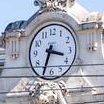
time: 3:33
